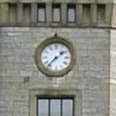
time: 1:37
